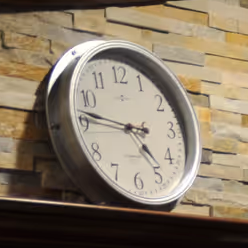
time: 4:46
